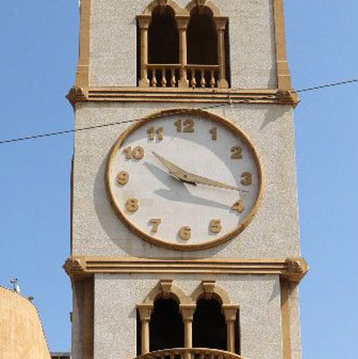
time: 10:17
